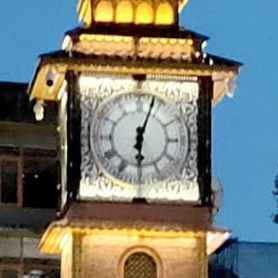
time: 6:03
